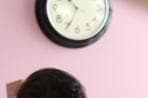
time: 10:34
